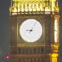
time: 9:05
